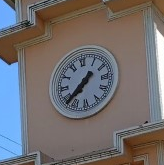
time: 7:38
